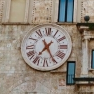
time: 7:25
